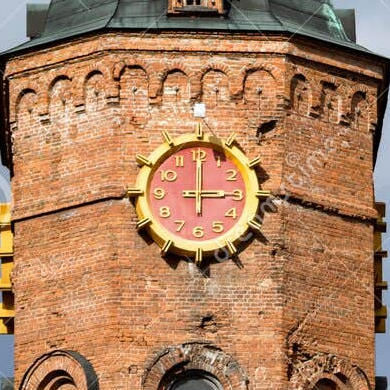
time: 3:00
